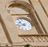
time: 10:42
